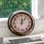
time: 12:07
